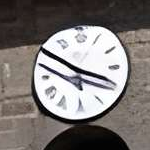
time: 3:50
